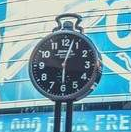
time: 6:03
